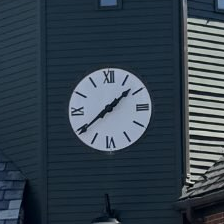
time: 1:38
